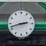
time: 2:42
